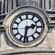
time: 2:32
